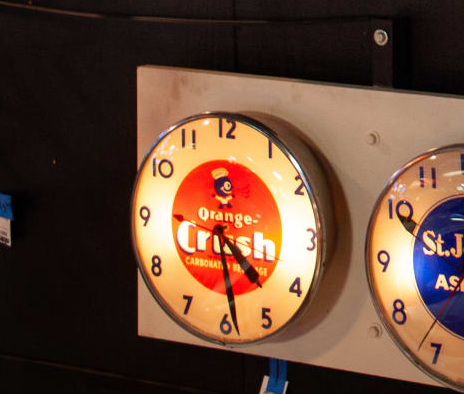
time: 4:28
